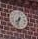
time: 7:32
